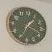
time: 1:18
